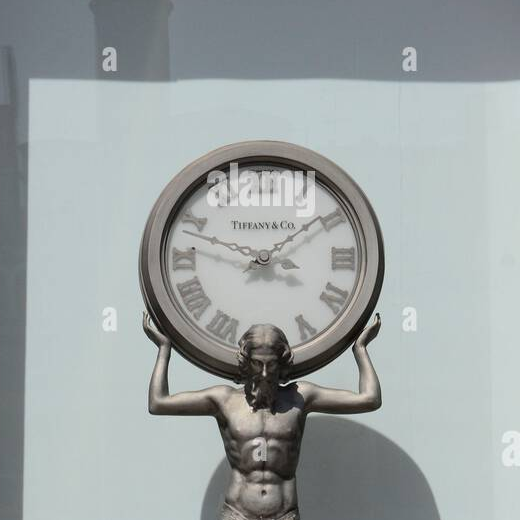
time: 1:47
